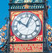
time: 10:03
